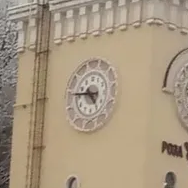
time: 4:45
